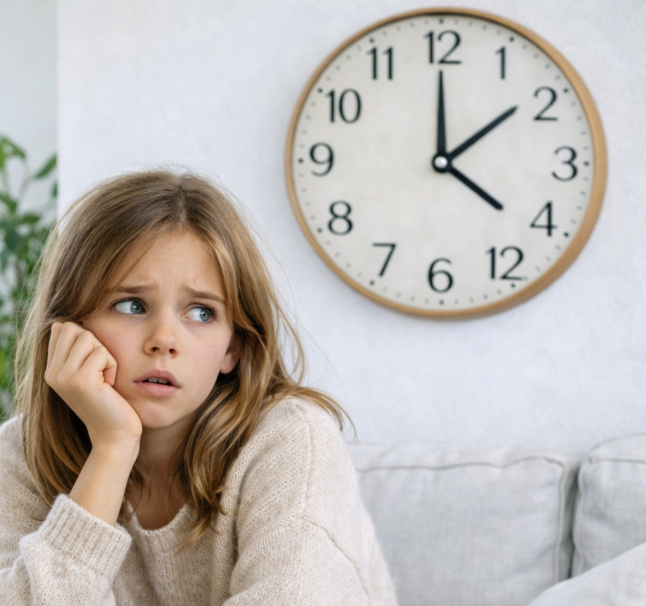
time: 4:08
